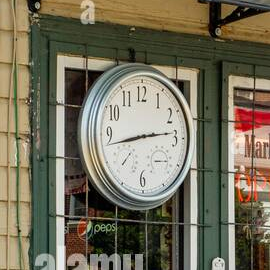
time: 2:42
